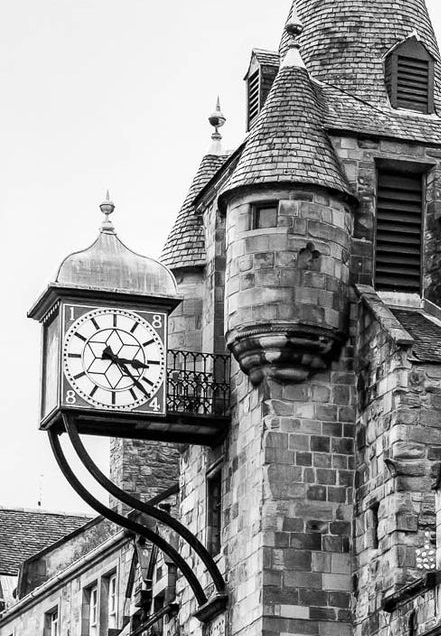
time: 3:22
